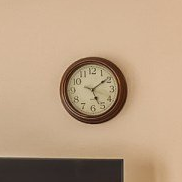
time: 5:09
